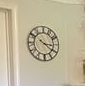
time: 3:20
